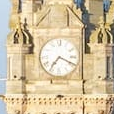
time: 7:18
